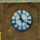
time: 11:20
